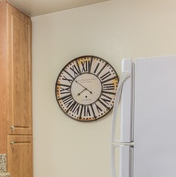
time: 7:51
